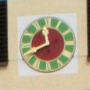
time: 11:41
